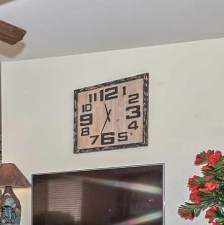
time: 11:33
